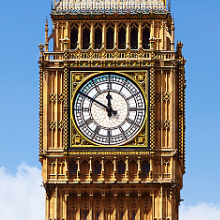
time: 11:49
